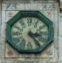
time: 3:23
